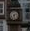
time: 7:28
